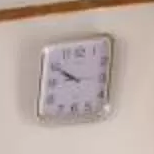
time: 9:50
